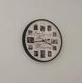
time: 3:43
